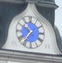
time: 10:36
